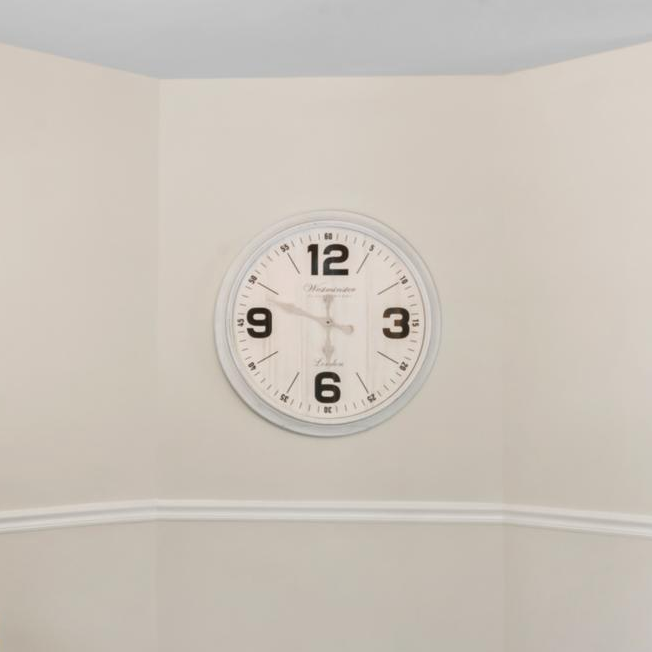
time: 5:48
